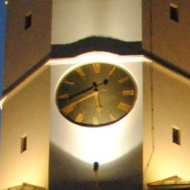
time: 5:40
